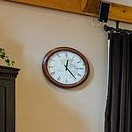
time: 12:23
